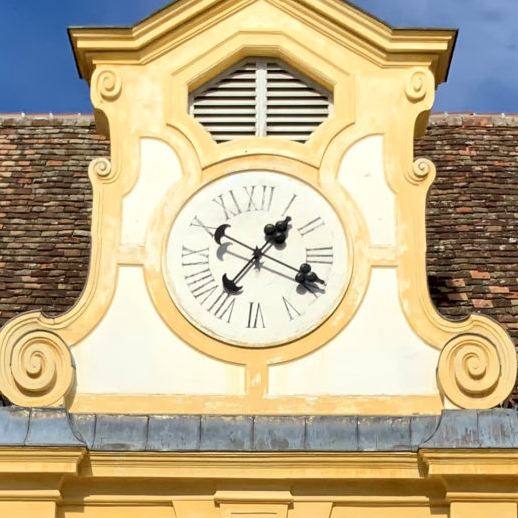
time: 1:18
